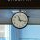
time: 11:17
